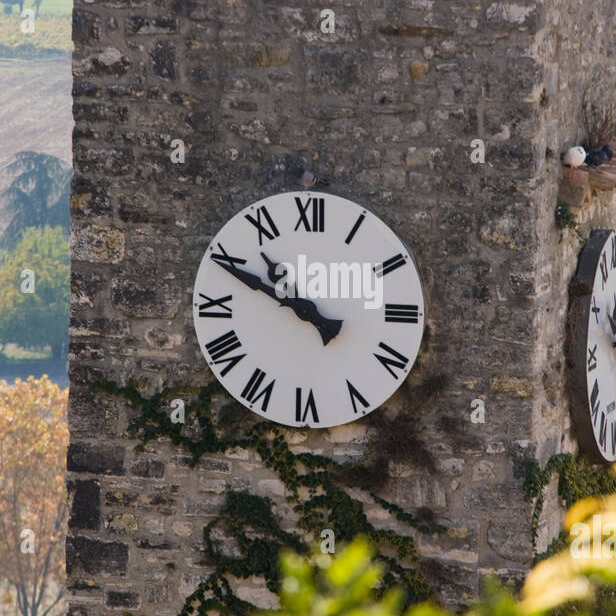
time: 10:49
